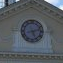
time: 5:12
